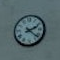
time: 2:21
